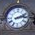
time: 2:13
